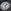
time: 1:28
